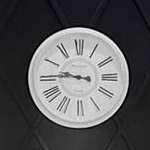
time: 9:45
